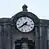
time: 3:39
